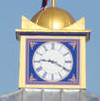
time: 9:19
